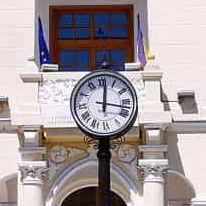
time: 12:17
